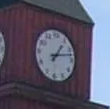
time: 1:12
